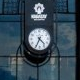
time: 4:34
